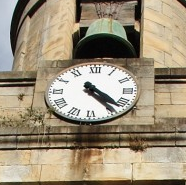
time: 4:24
